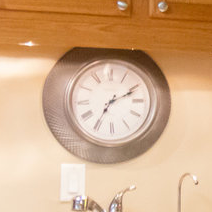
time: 7:10
